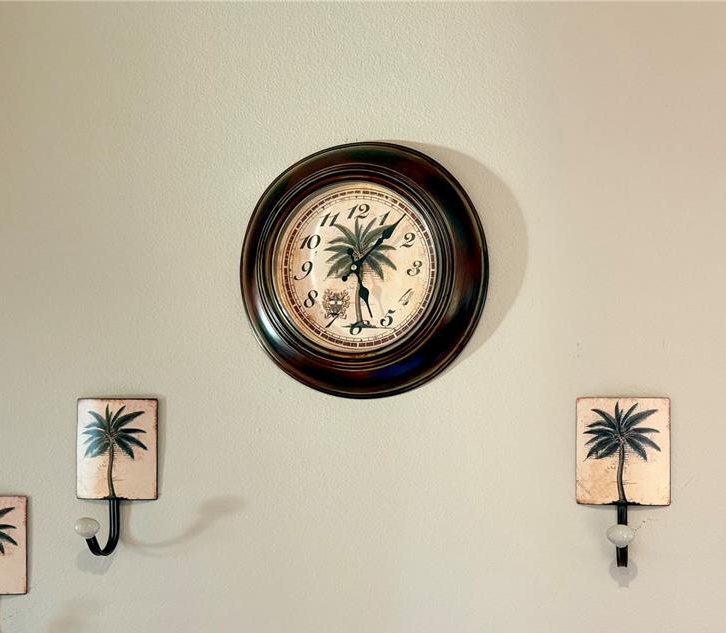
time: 1:28
